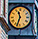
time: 11:33
